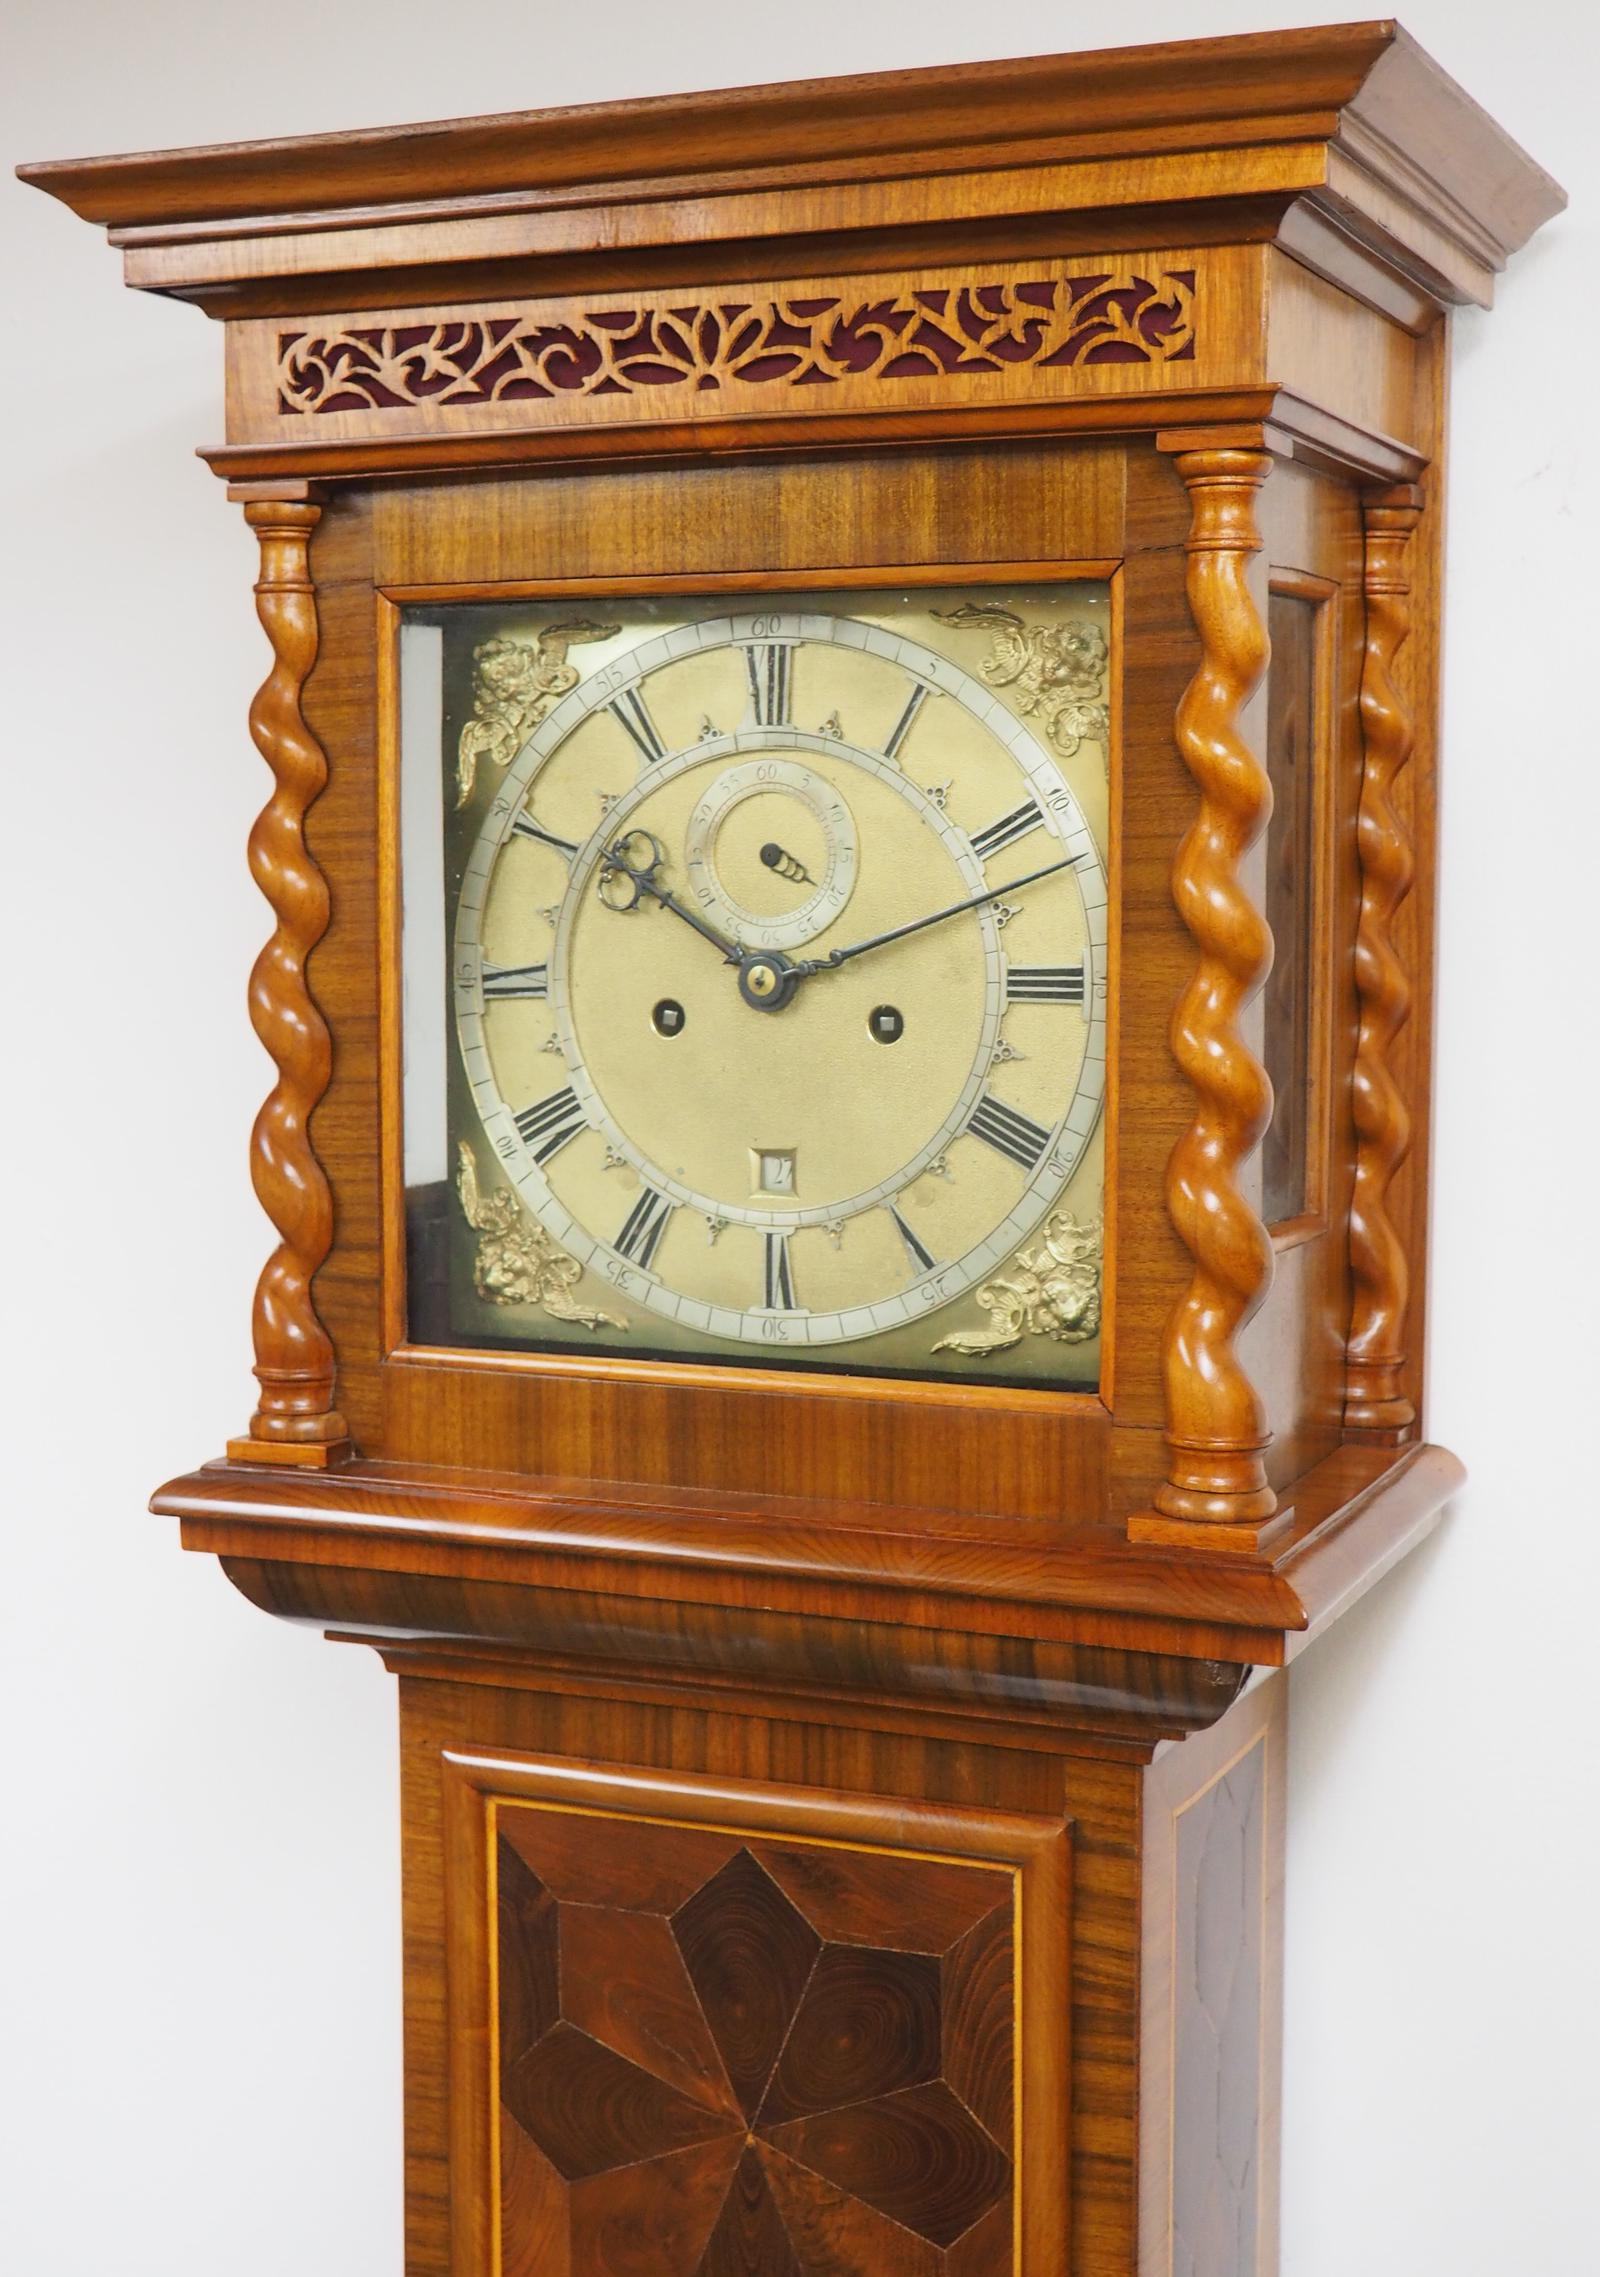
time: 10:12
